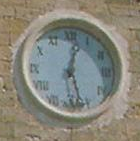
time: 12:27
